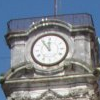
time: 11:54
